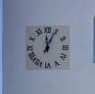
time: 12:04
